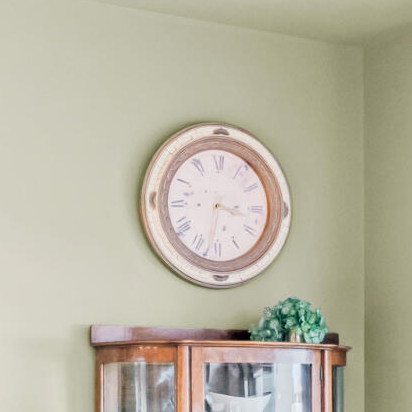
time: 3:32
